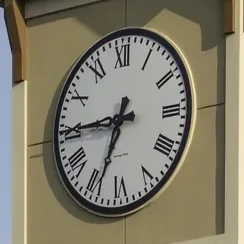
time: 6:44
